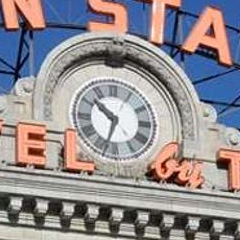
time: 10:33
